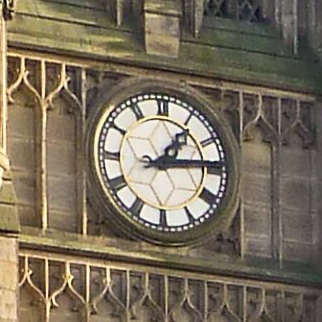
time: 1:13
